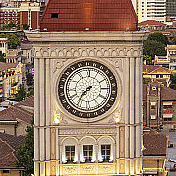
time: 7:35
